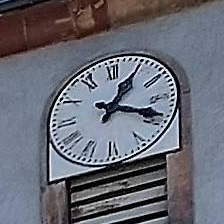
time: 1:18
